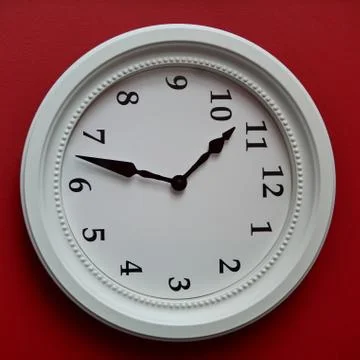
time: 1:47
